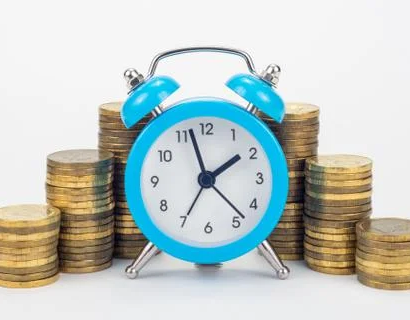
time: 1:57
